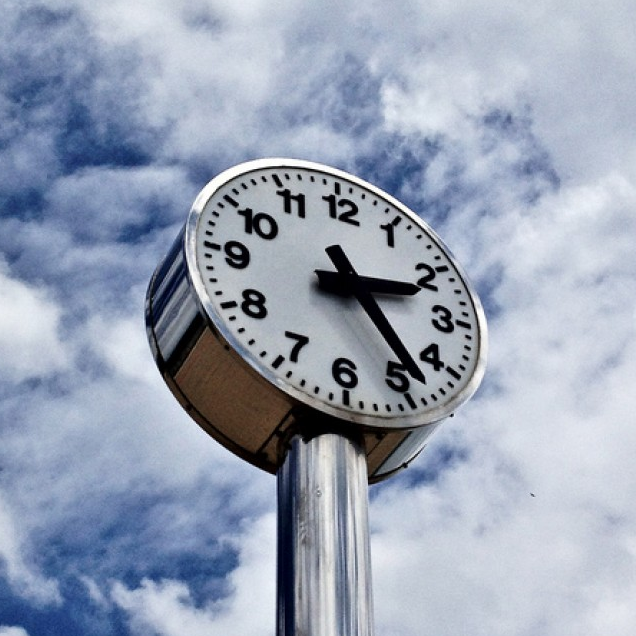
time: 2:23
